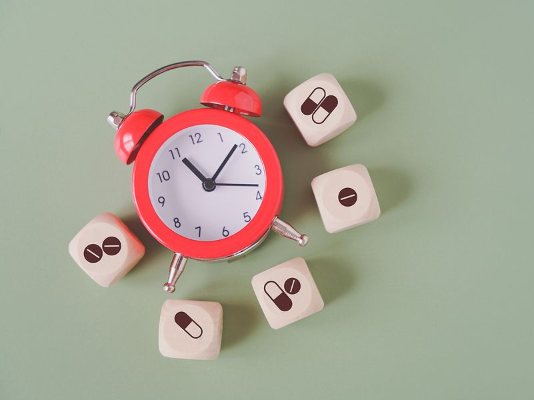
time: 11:08
